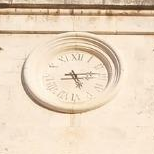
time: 5:13
